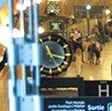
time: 11:17
